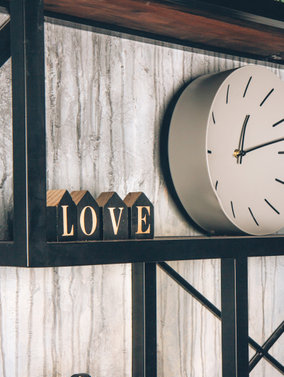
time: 12:12
